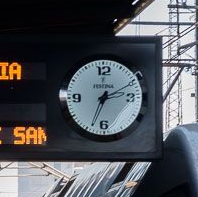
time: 2:33
